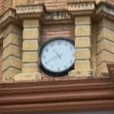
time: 10:41
